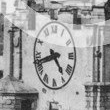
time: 4:42
